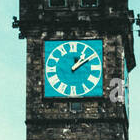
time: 1:09
